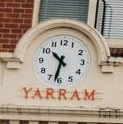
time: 10:32
